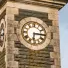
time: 6:15
